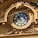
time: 10:42
